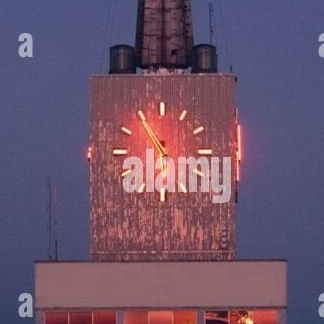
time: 5:54
